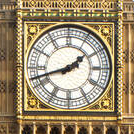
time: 1:42
